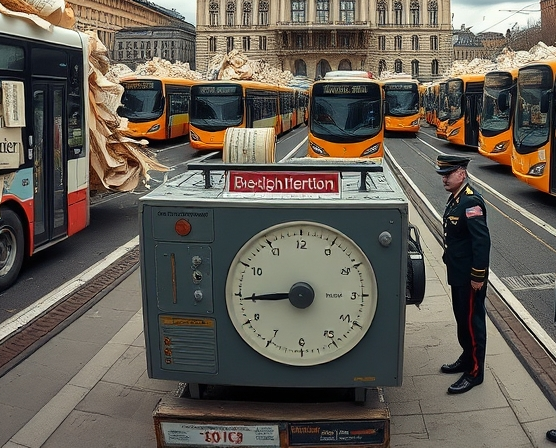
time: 8:44
